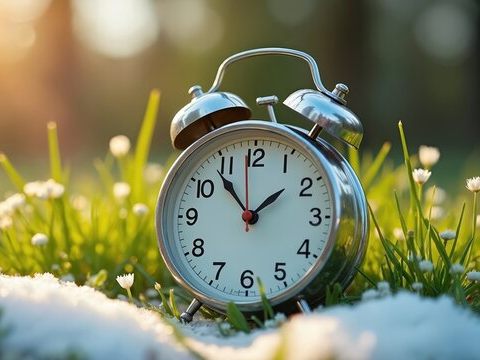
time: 1:53
